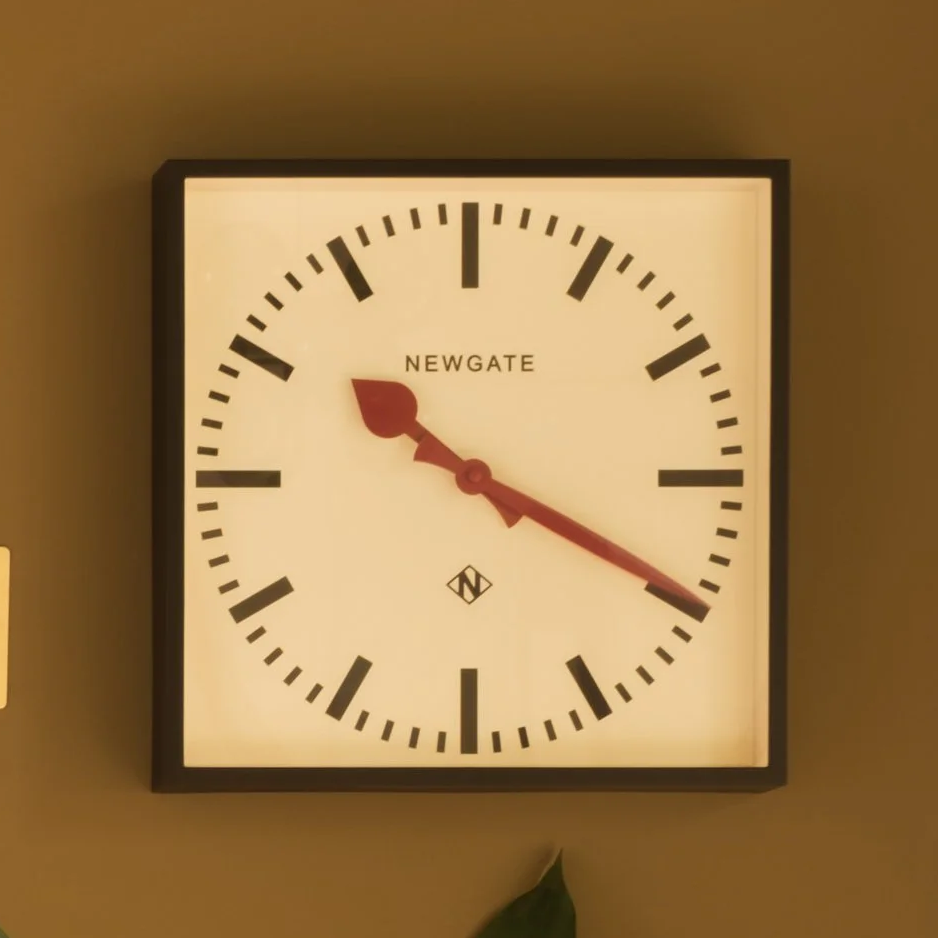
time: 10:19
